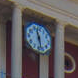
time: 11:28
